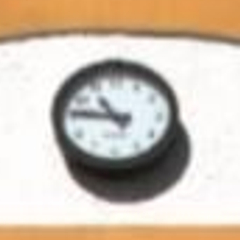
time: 10:46
